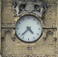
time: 4:37
